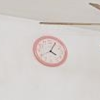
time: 4:04
